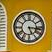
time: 5:16
